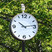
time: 10:13
